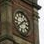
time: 1:37
